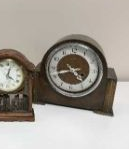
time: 4:42
